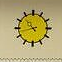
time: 10:42
